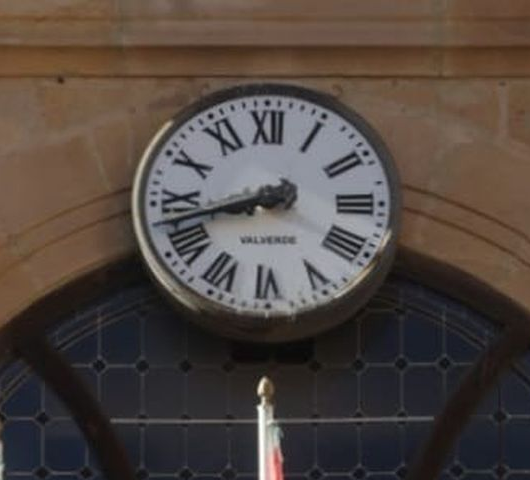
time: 8:42
